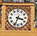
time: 3:33
